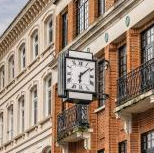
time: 6:08
